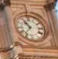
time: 10:36
